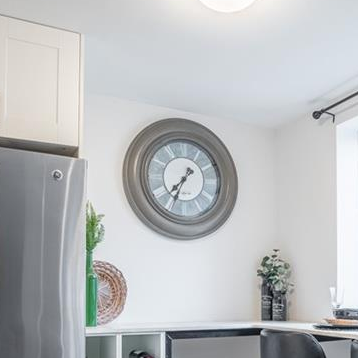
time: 7:34
